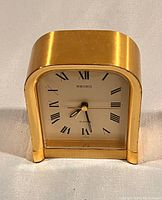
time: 7:28
